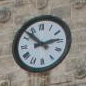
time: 2:52
